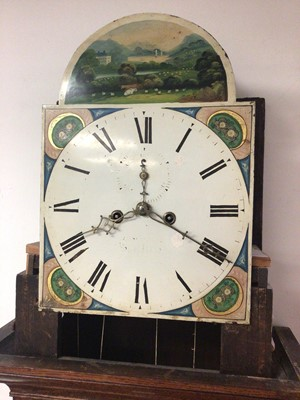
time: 8:19
